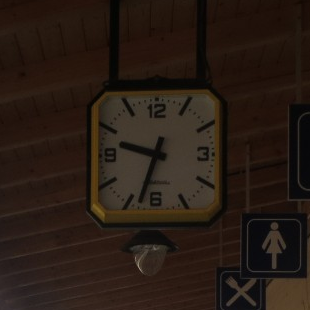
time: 9:33
